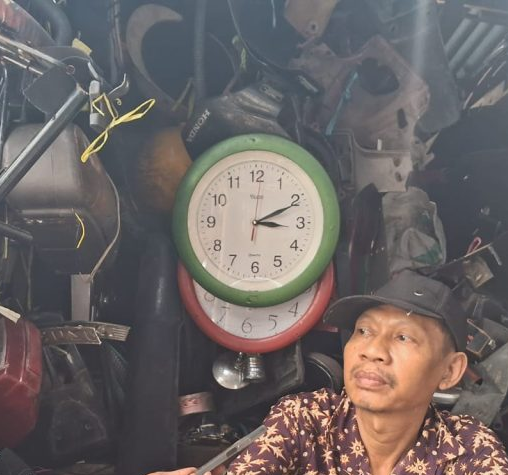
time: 3:10
